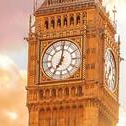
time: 7:01
